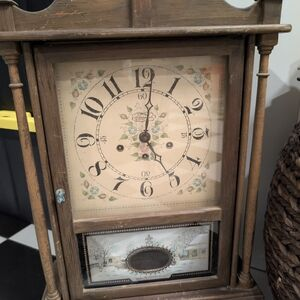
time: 5:01
